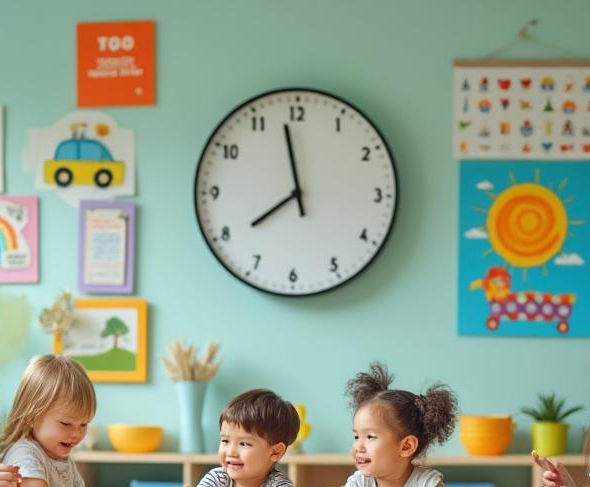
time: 7:58
